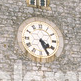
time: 4:25
